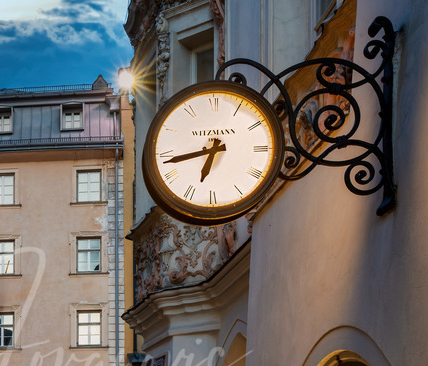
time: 6:42
